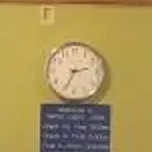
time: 2:34
